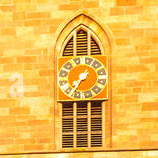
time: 7:35
